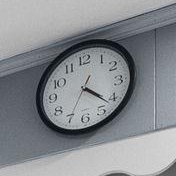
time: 4:22
